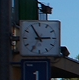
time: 2:54
